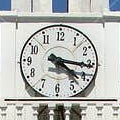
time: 4:15
